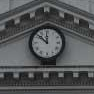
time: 11:51
